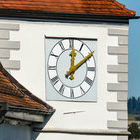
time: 12:10
